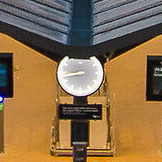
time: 8:43
